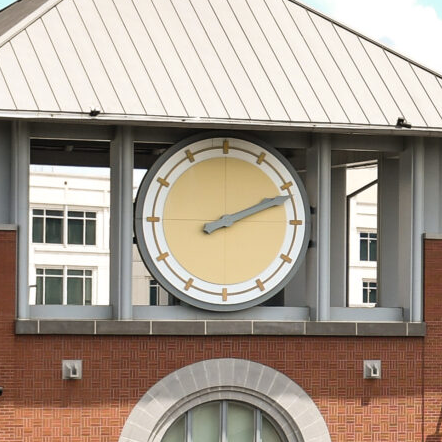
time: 2:11
